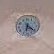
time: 6:21
